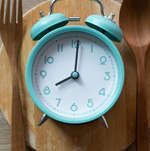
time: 8:01
